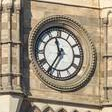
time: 11:35
